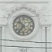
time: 10:36
